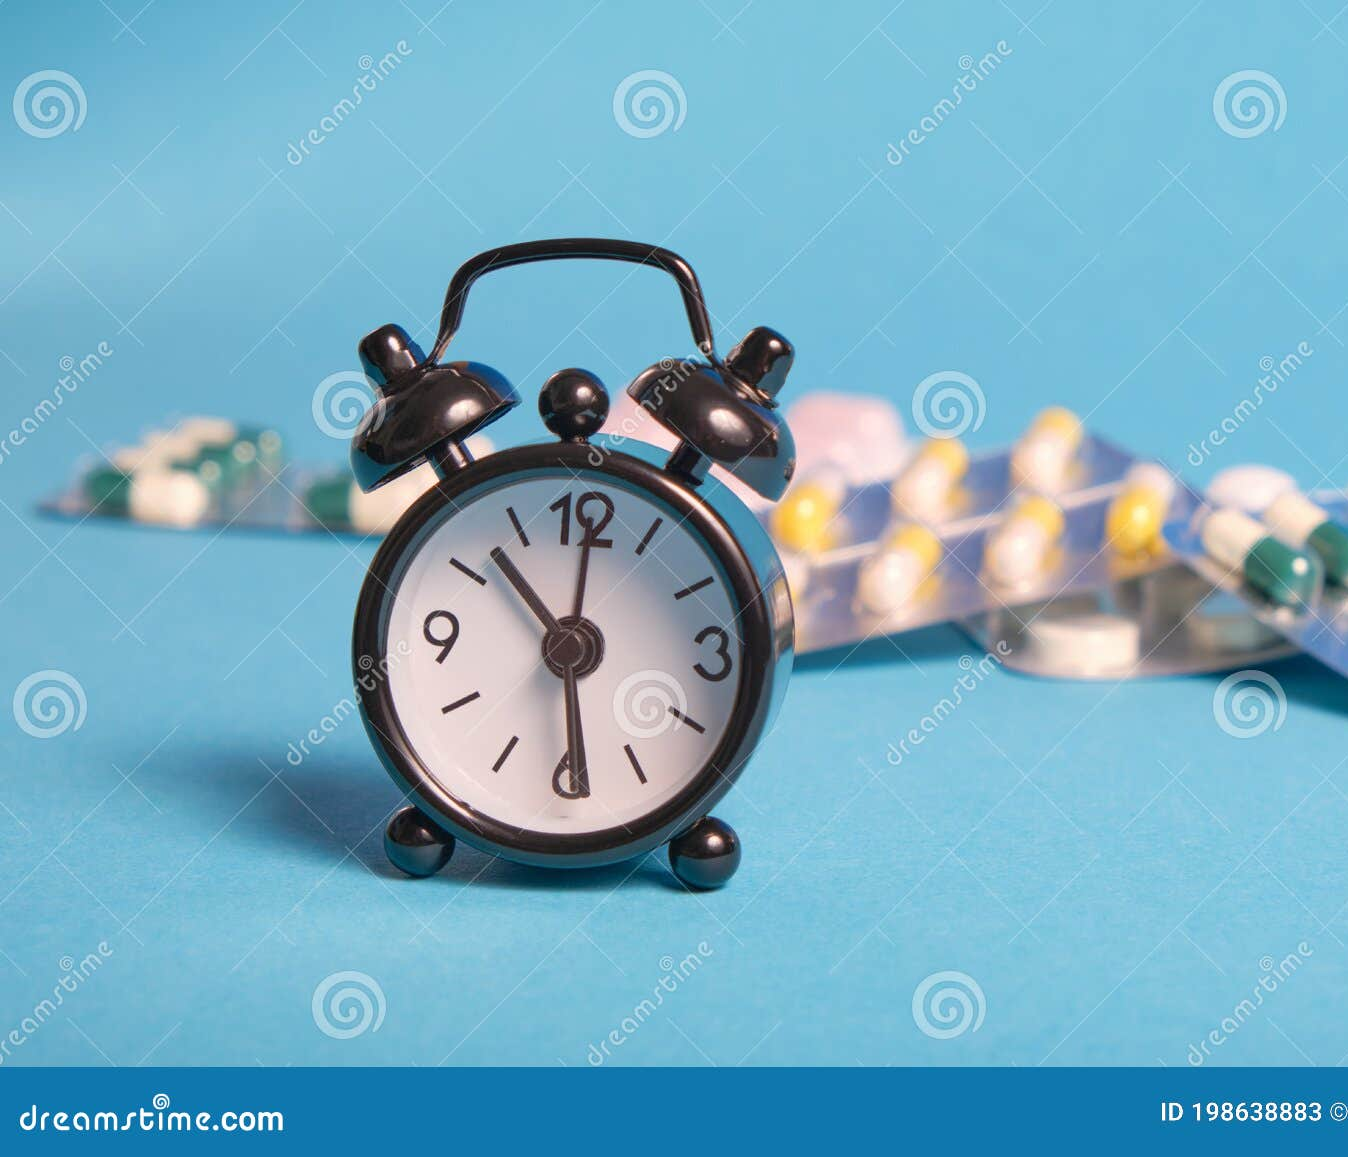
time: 10:28
